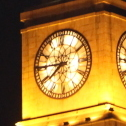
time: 7:45
